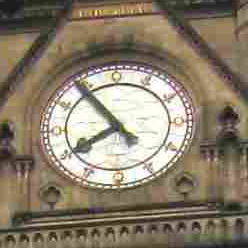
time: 7:53
